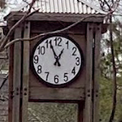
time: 12:55
